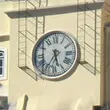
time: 5:35
